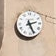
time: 2:25
